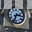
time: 2:33
